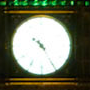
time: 10:24
